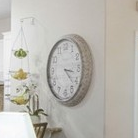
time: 3:22
